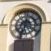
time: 12:33
